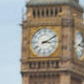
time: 3:10
